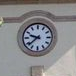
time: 9:38
